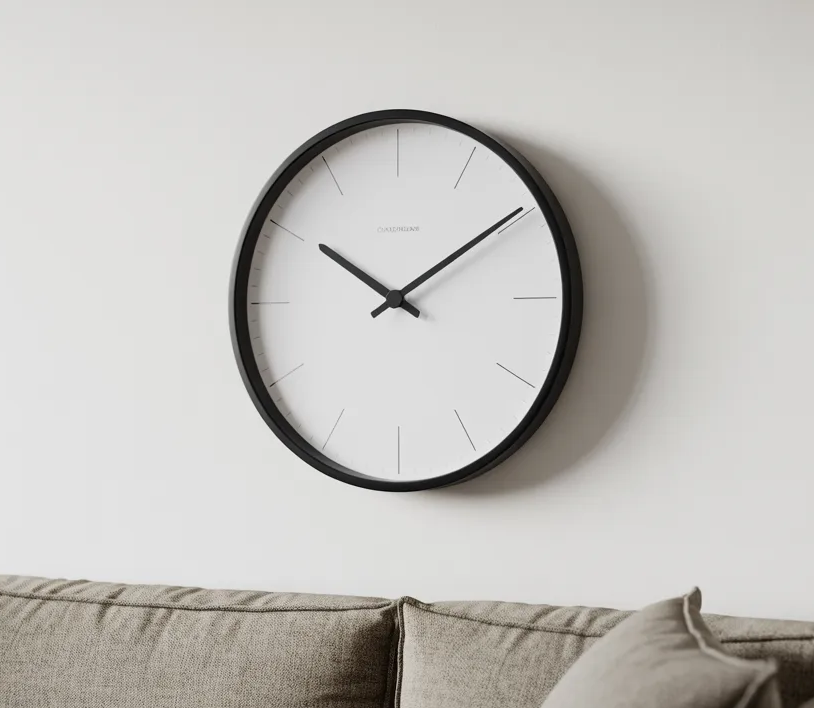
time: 10:09
